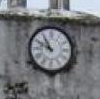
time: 10:48
